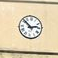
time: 2:52
